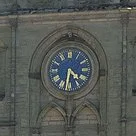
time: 4:31
